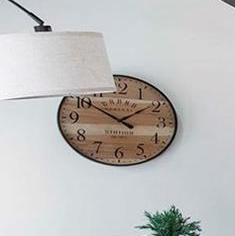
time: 1:50
